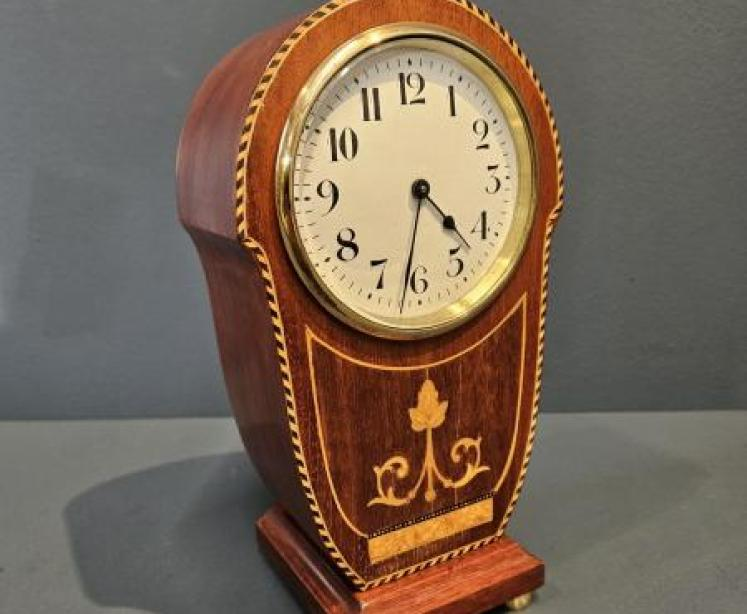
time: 4:31
